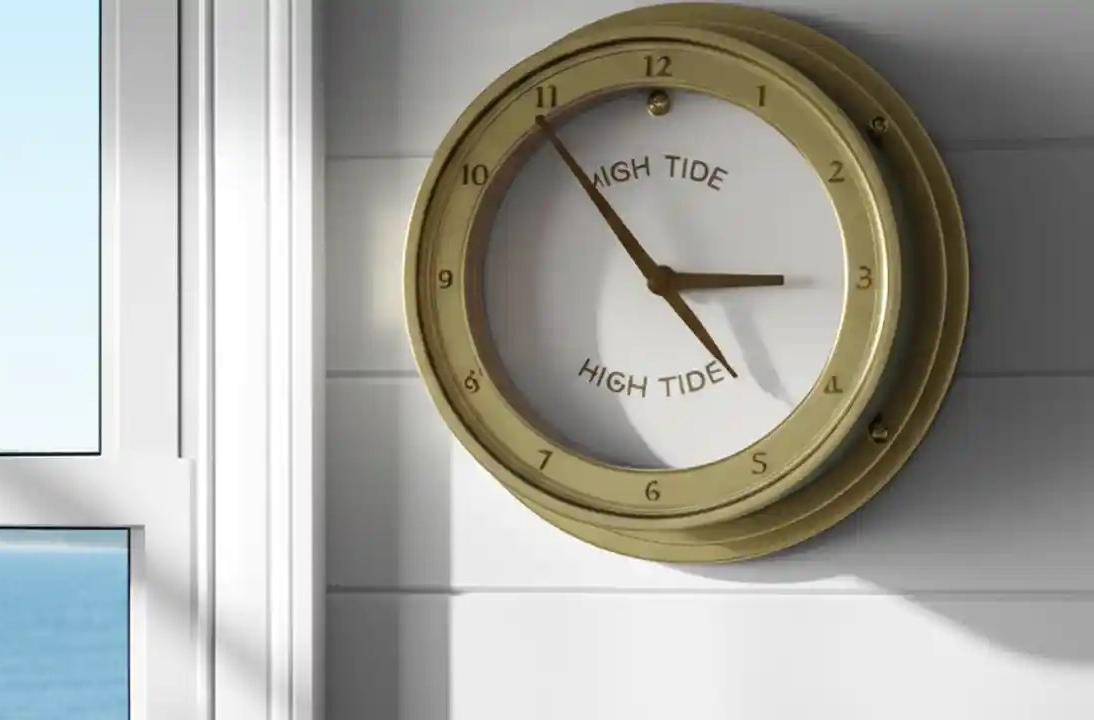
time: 2:53
